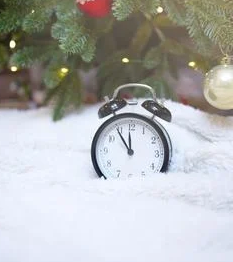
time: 11:54
